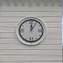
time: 12:05
